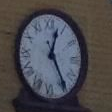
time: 12:24
